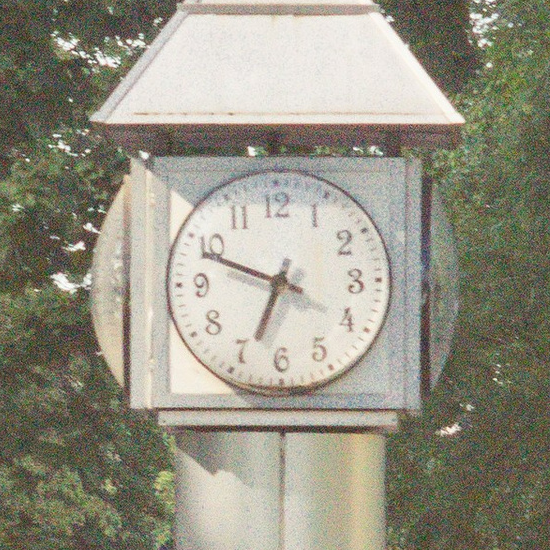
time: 6:48
